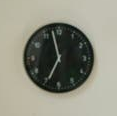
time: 6:57
